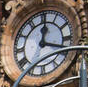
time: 12:18
